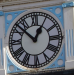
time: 12:52
